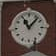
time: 11:07
